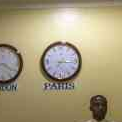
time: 7:15
